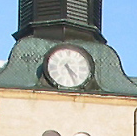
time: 4:25
